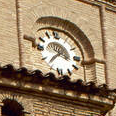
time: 3:37
